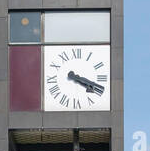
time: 4:18
